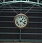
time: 1:18
